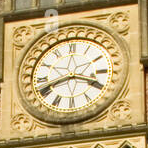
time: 3:41
